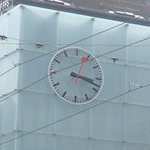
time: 3:18
